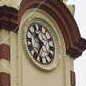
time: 10:34
